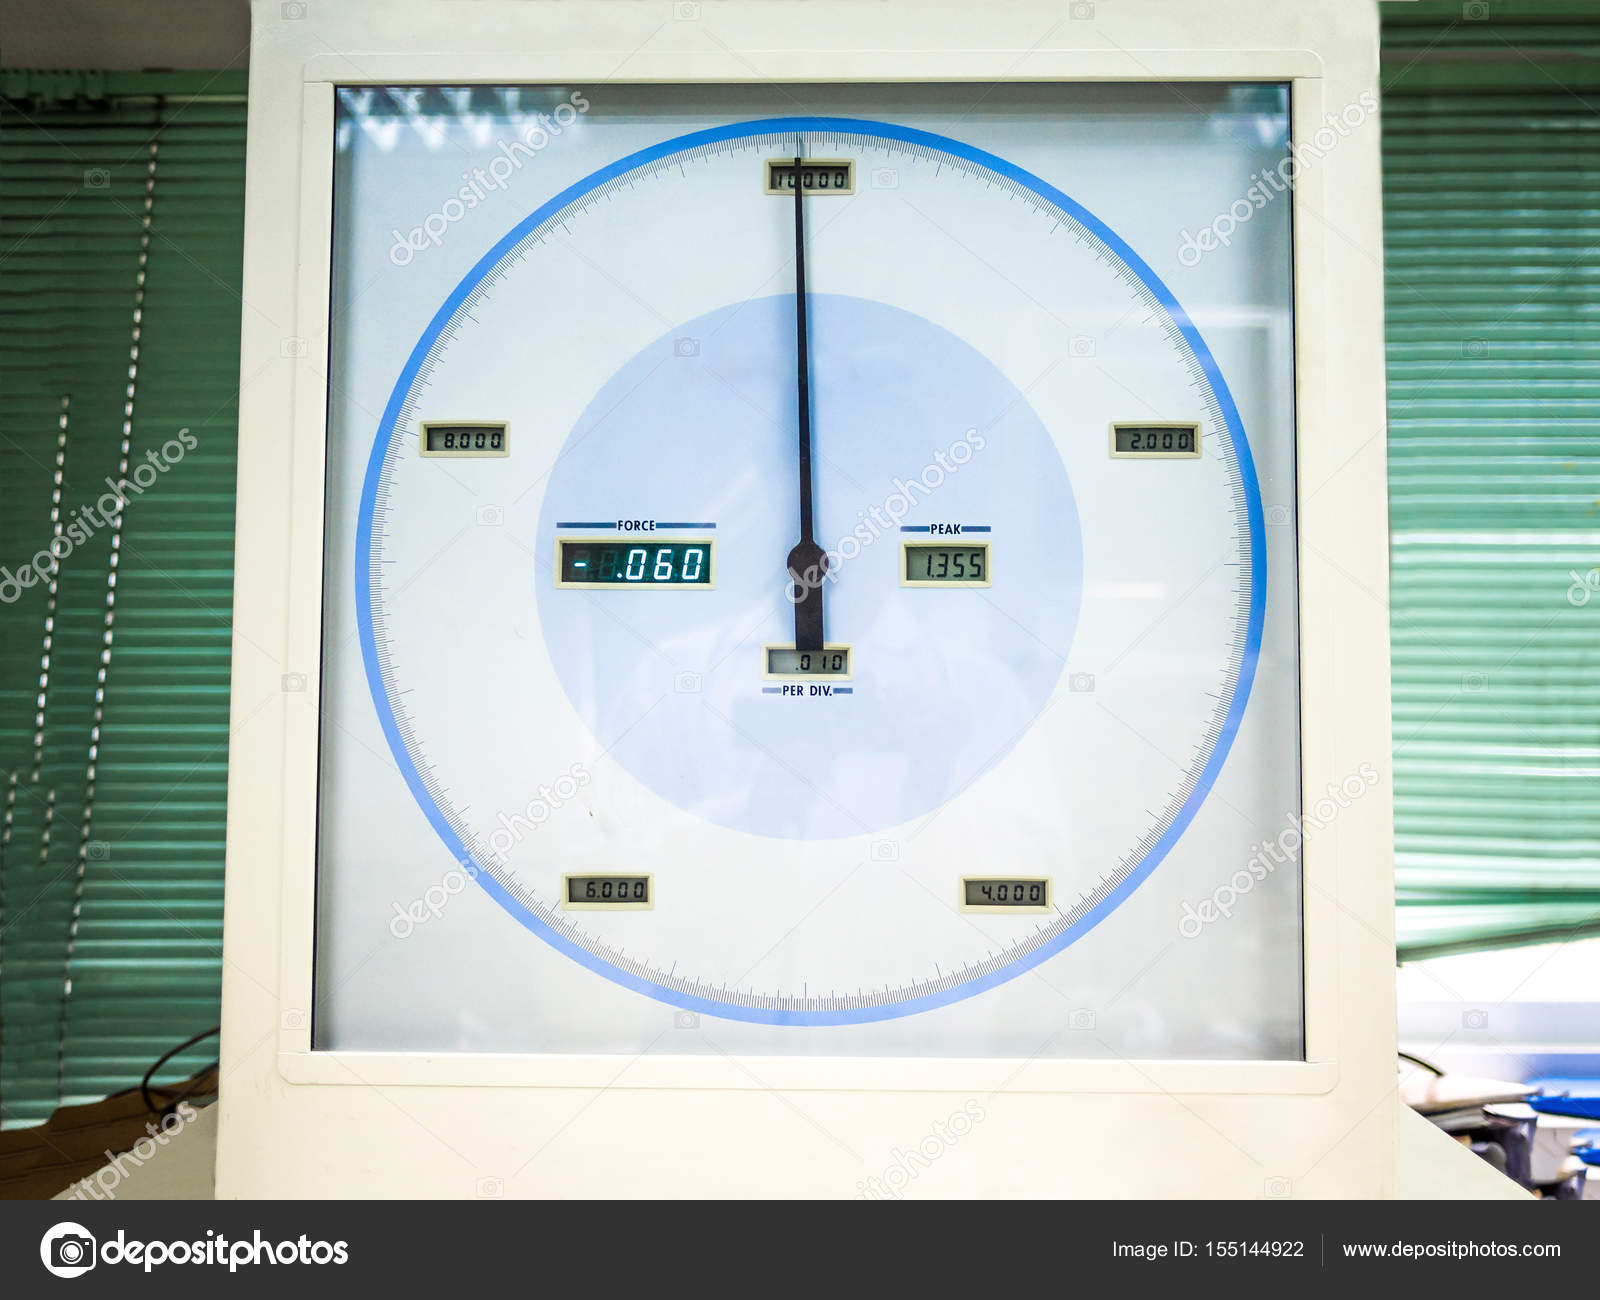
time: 5:59
